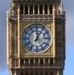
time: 12:05
